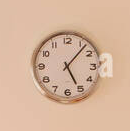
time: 5:07
